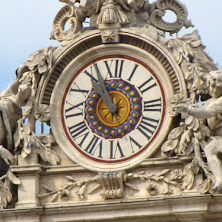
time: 10:56
